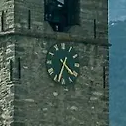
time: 4:34
